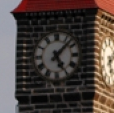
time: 5:07
